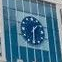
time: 1:30
